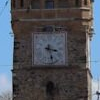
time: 3:27
